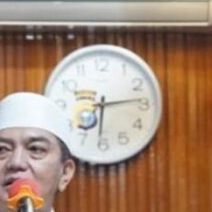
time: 6:13
